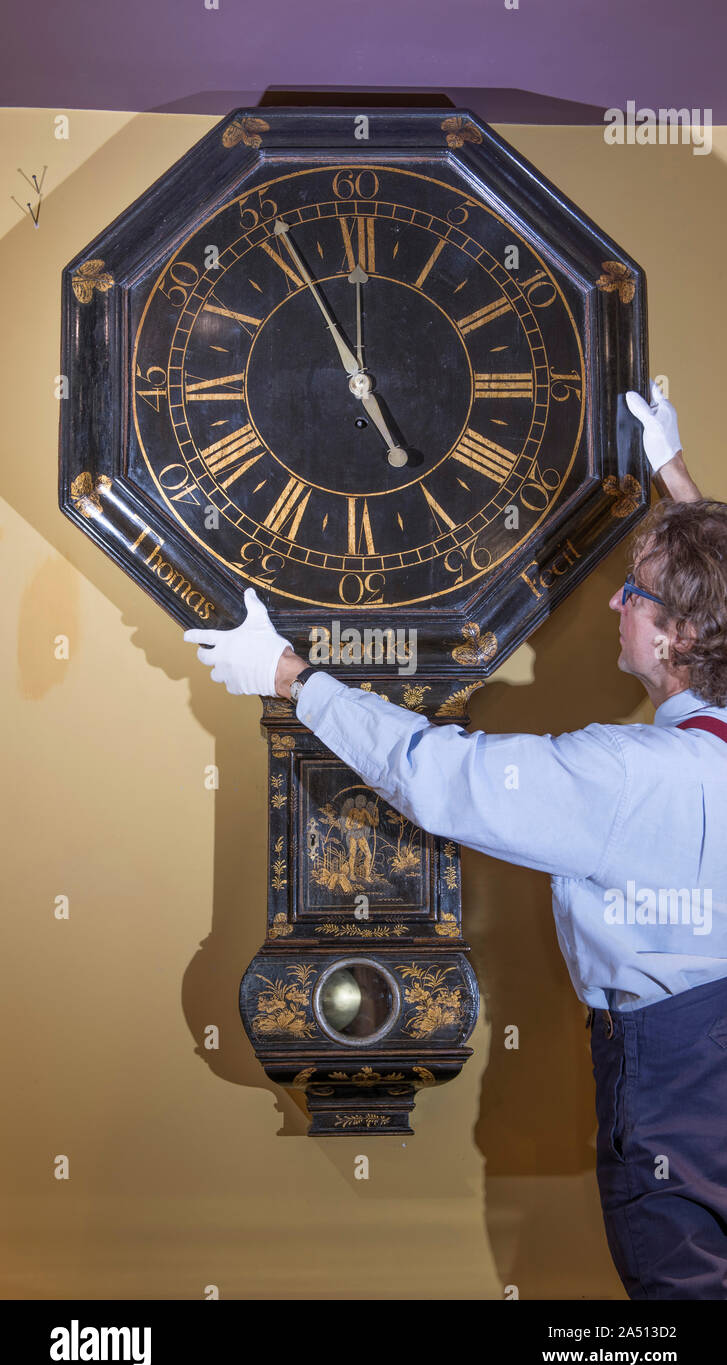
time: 4:54
